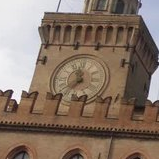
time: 11:37
